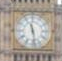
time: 11:28
